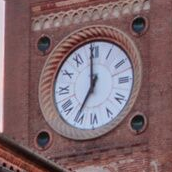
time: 6:59
